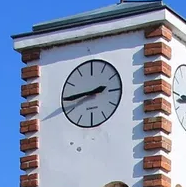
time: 8:44
